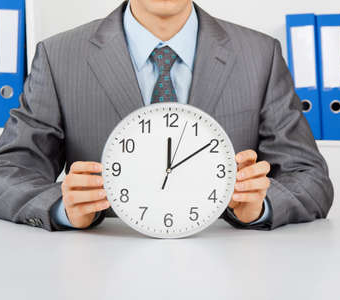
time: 12:09
